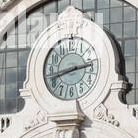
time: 2:42
